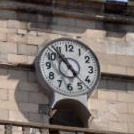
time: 4:53
